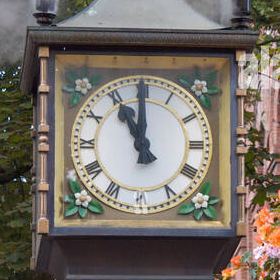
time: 10:59
